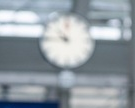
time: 10:45
